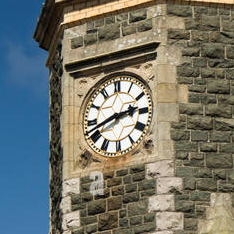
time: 2:42
